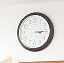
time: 3:14
